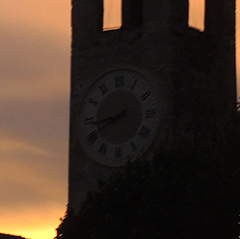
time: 8:40
